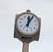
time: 12:04
